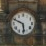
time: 5:49
